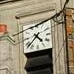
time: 4:37
